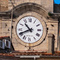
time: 10:41
